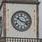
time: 10:17
